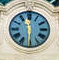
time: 11:29
